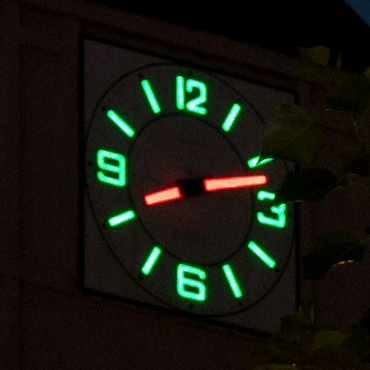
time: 8:12
